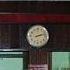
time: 2:12
